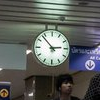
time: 2:53
